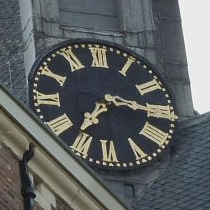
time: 7:15
